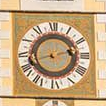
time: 2:42
